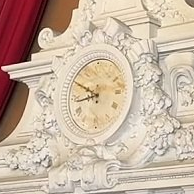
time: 8:49
